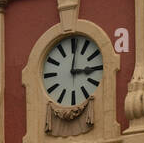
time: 3:01
